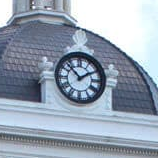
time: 1:52
